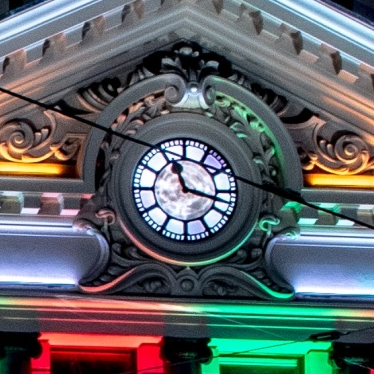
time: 11:17
